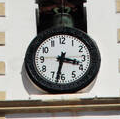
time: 3:32
